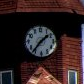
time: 1:36
